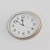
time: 11:52
